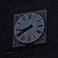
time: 8:40
